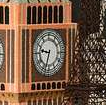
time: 9:33
